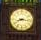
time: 8:16
